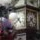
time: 4:37
